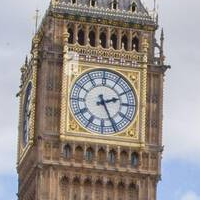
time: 2:25
